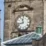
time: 11:42
